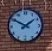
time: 1:50
